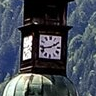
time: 1:42
